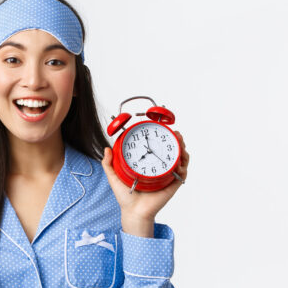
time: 8:01
